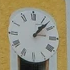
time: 1:07
